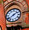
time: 1:38
